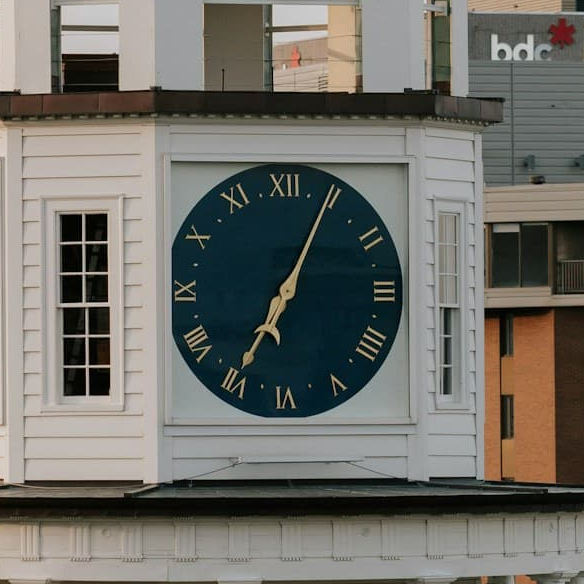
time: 7:04
